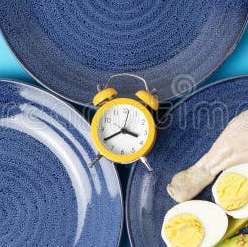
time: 3:40
